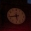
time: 5:42
